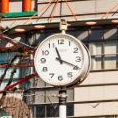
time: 11:19
